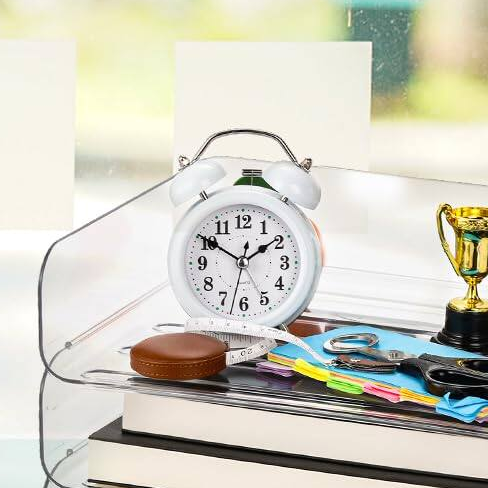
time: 1:50
